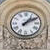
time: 1:09
